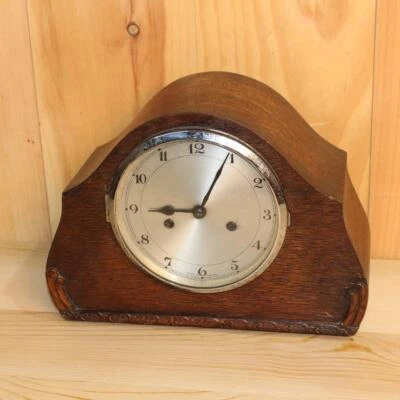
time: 9:04
